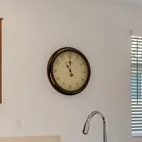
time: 11:00
